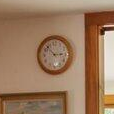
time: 2:52
